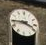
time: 3:44
